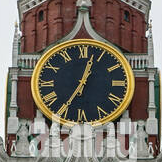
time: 12:35
